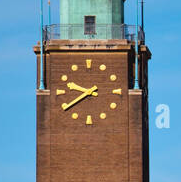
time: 9:39
